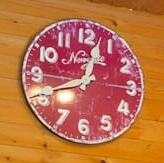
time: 12:41
